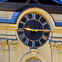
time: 9:14
